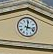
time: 12:16
